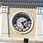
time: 5:11
